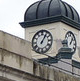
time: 1:06
